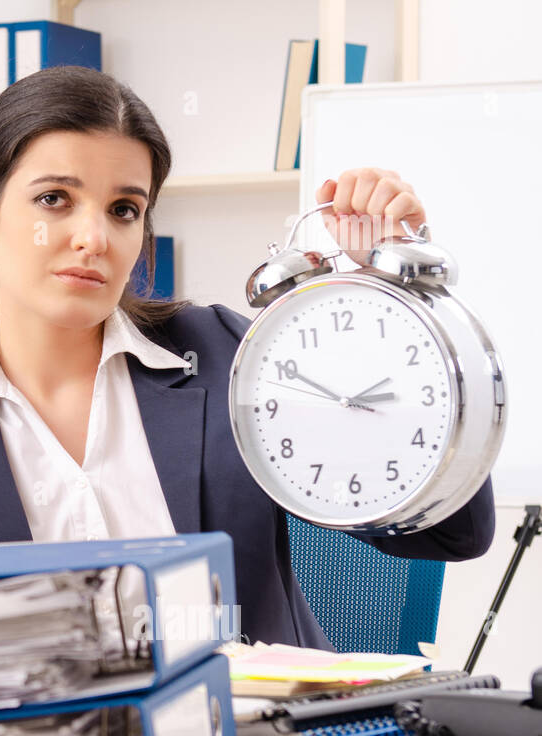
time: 2:50
